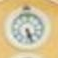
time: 5:26
